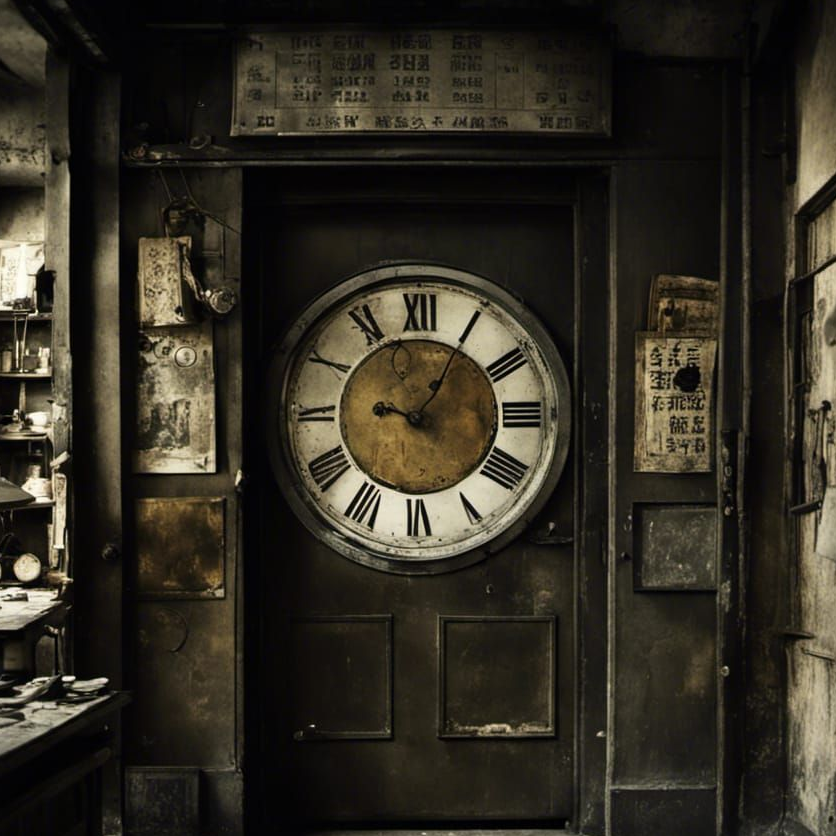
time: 9:05
